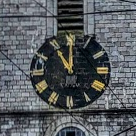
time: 11:00
